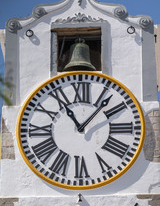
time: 11:07
